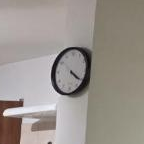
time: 4:20
